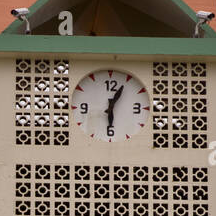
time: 6:04
